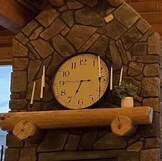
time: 6:45
